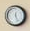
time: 12:26
